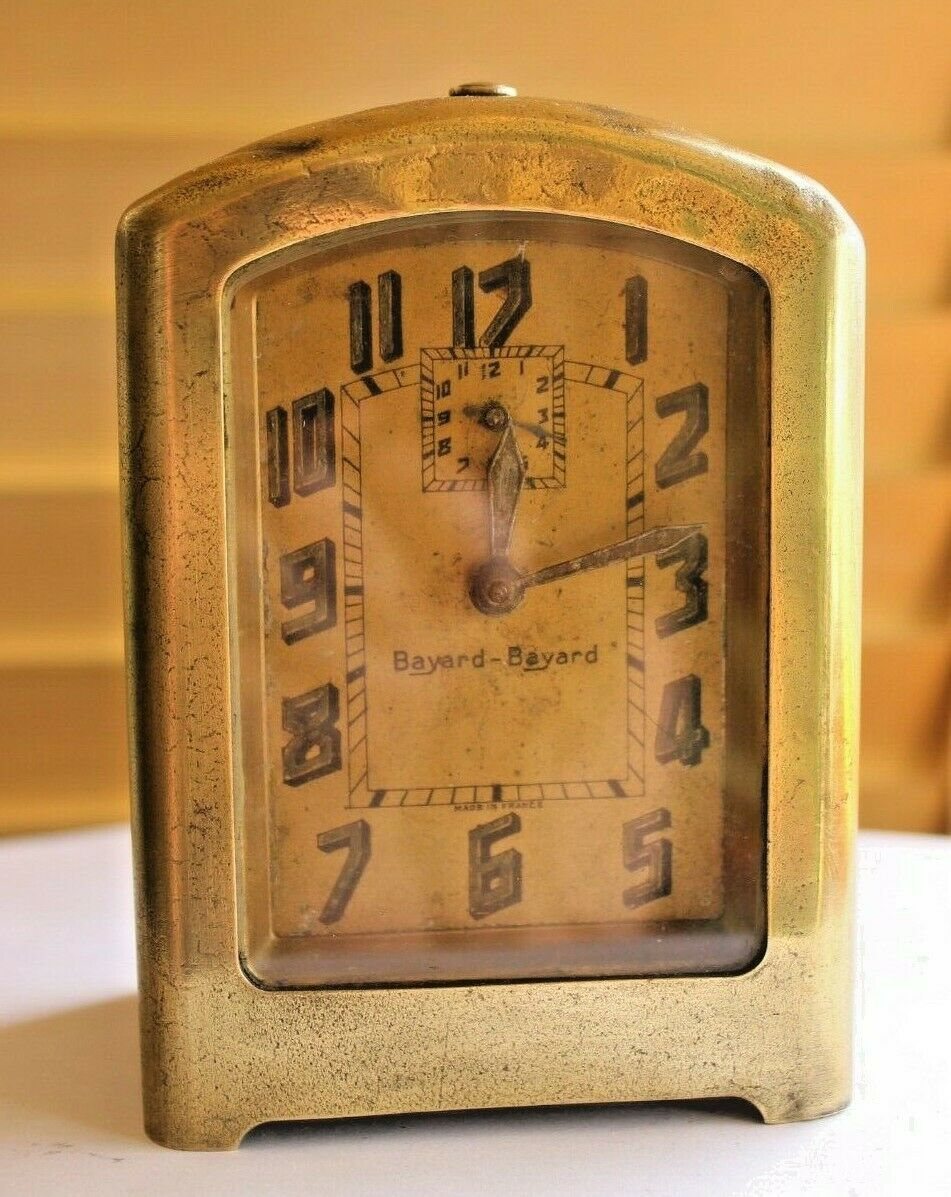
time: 12:12
